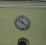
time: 10:22
